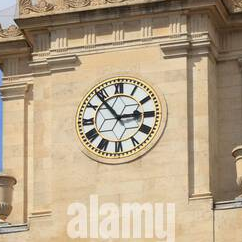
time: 2:53
